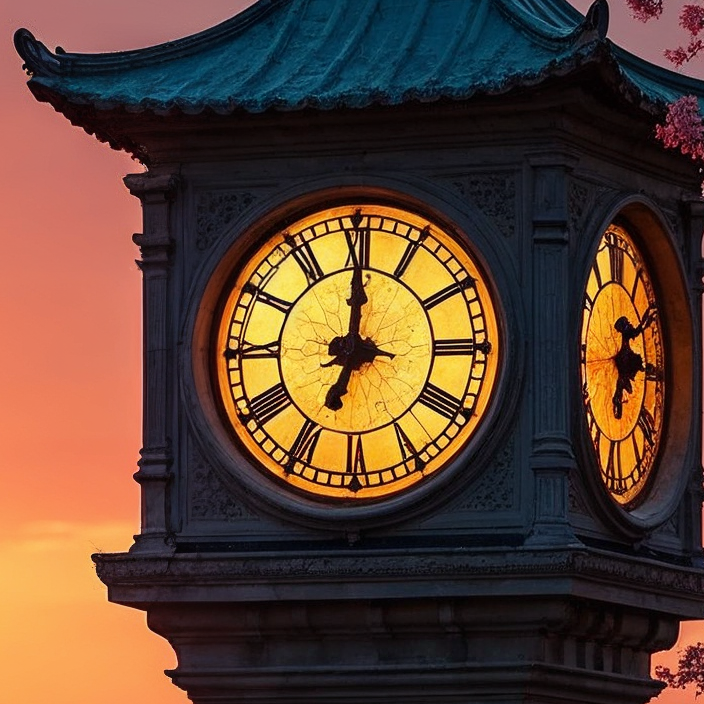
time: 7:00
